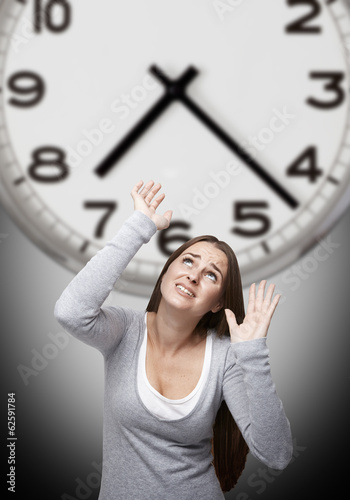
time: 7:22
